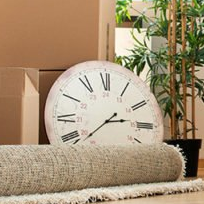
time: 2:38
